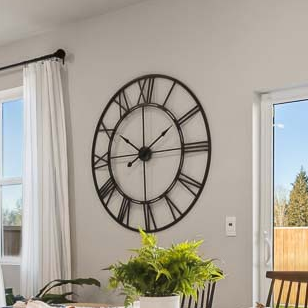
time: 1:50
